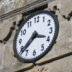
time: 3:38
